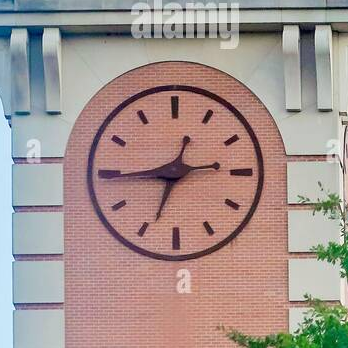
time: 12:44
